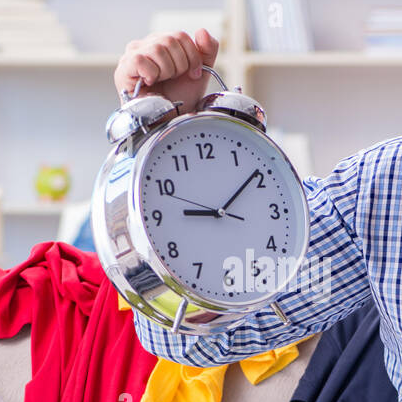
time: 9:09
